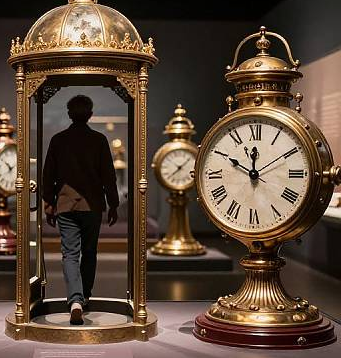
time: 11:50
